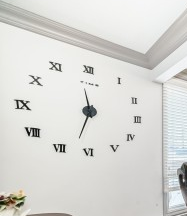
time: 11:32
